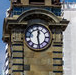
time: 12:28
